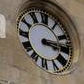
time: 3:13
